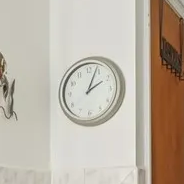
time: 2:03
